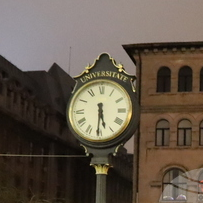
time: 5:30
